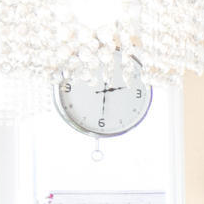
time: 2:30
